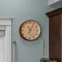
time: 11:04
